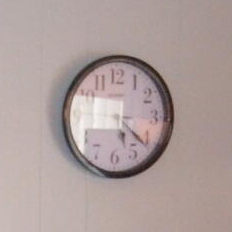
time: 5:21
